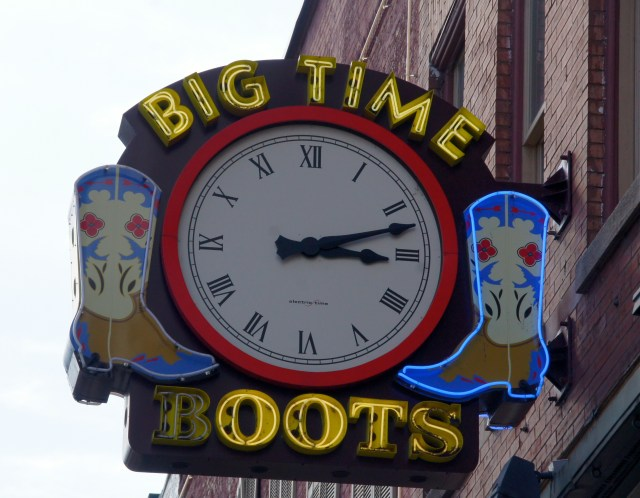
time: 3:12
